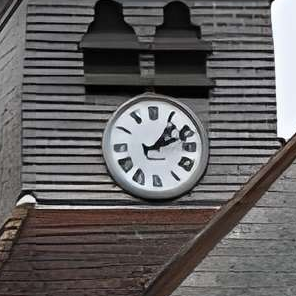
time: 1:11
